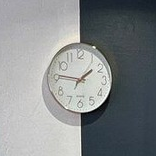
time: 1:46
